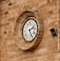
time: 2:24
